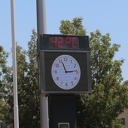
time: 11:14
